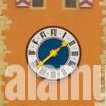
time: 1:38
